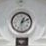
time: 1:11
